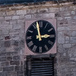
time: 2:58
